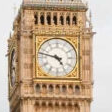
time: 4:47
